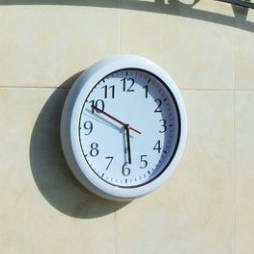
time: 5:49
